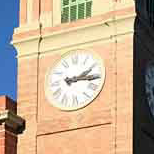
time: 2:15
